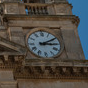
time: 3:10
